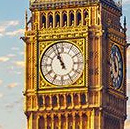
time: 10:56
